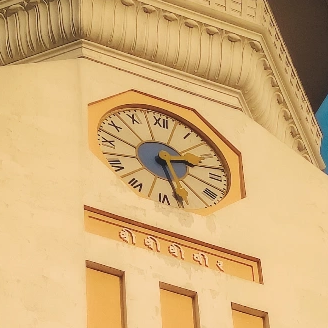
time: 2:27
